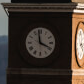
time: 3:58
